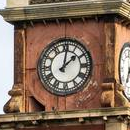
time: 2:01
